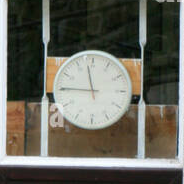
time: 11:45
